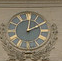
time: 2:01
